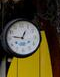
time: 12:46
